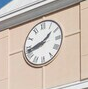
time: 1:43
